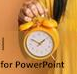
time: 1:50
